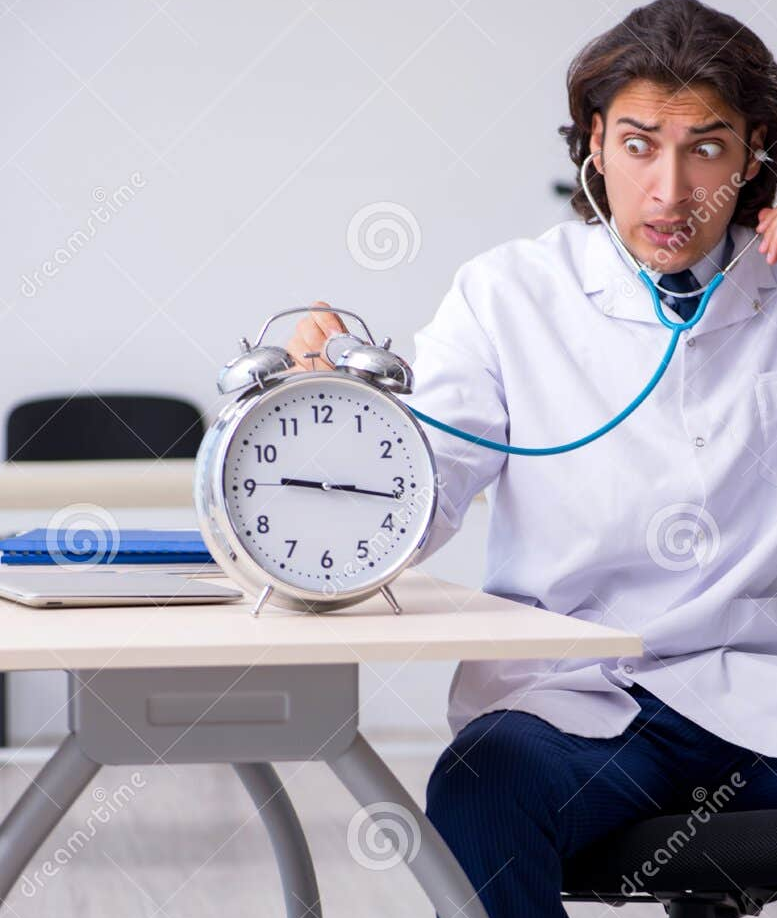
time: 9:16
